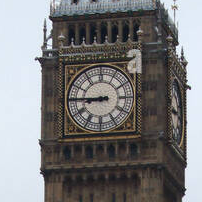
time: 8:45
